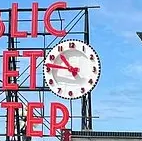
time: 10:46
